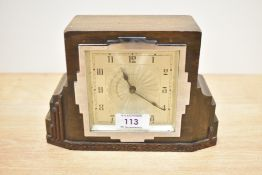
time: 11:21
